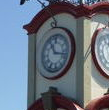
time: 11:17
